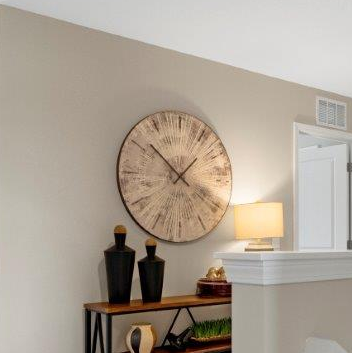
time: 1:51
